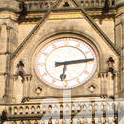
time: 6:14
